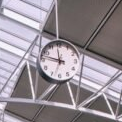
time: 11:47
